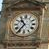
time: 10:36
